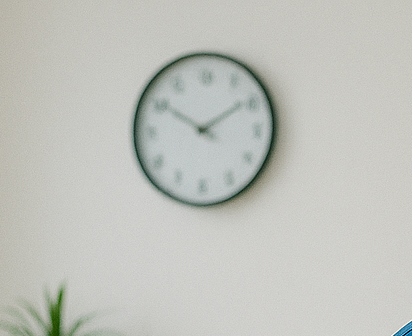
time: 1:50
